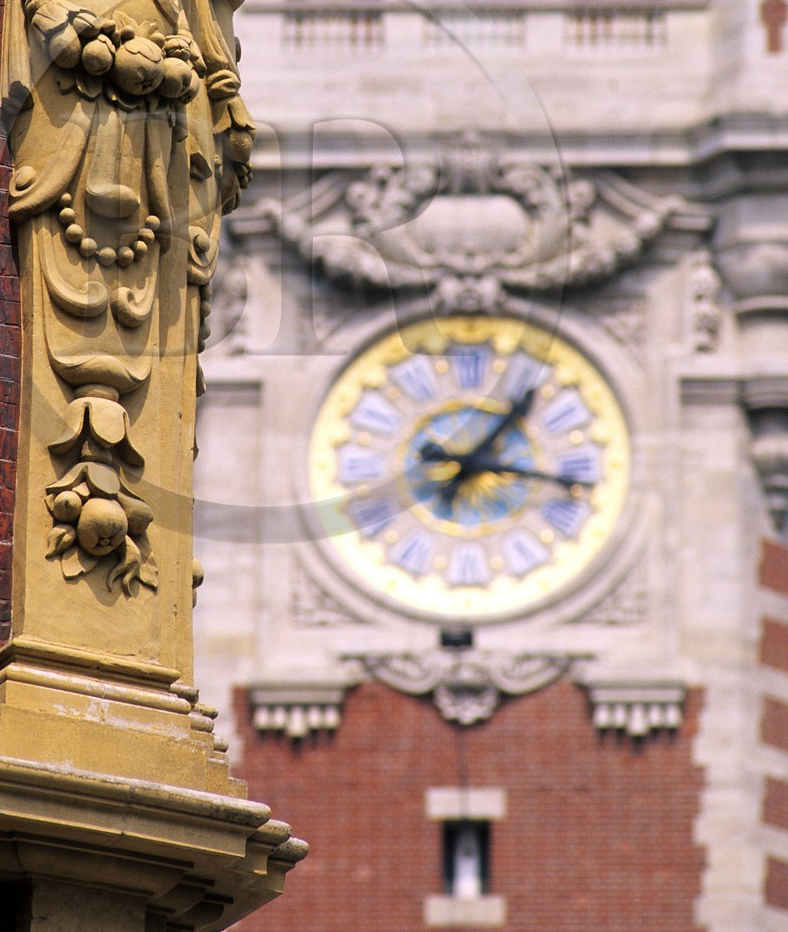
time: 1:16
